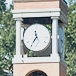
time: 11:35
